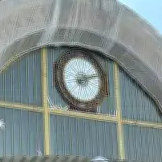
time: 2:11
